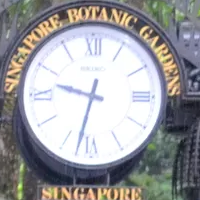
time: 9:32
